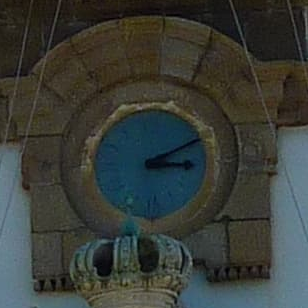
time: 3:10
